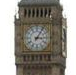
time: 3:05
